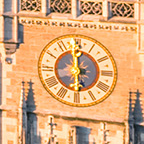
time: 5:59
